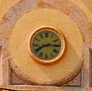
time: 8:14
